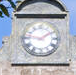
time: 1:46
